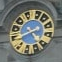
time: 4:40
